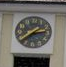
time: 2:38
